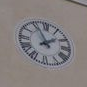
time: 1:55
